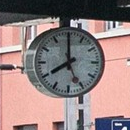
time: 7:59
